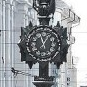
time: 12:07
